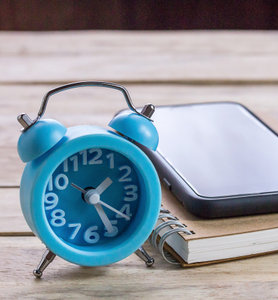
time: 1:25
